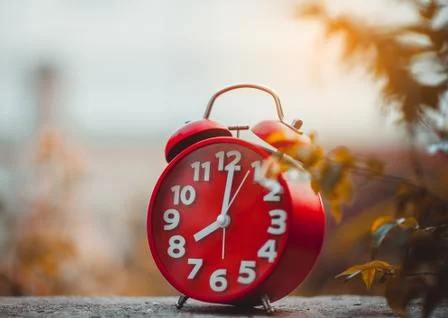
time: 8:01
